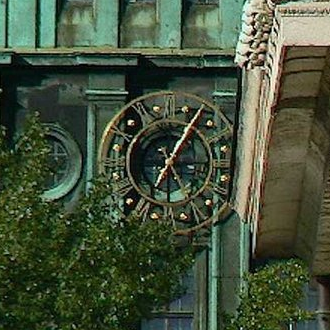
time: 7:06
